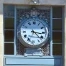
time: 3:22
